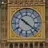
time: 10:21
